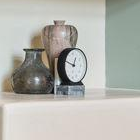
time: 12:49
